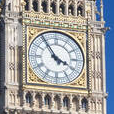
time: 3:54
